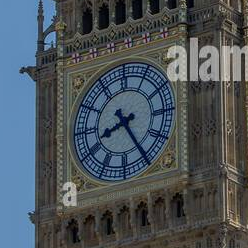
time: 8:24
